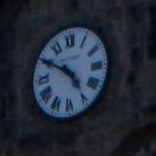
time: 4:50
